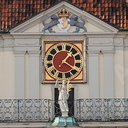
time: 1:20
